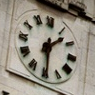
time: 1:29
